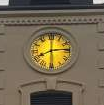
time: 8:13
